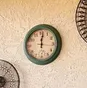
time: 12:01
